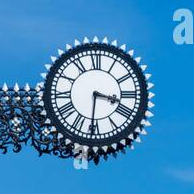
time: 3:30
